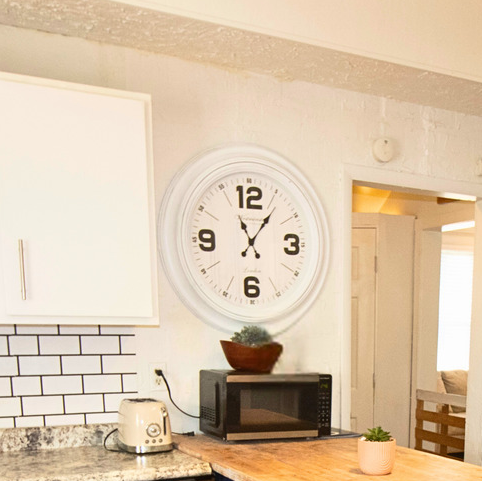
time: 11:06
